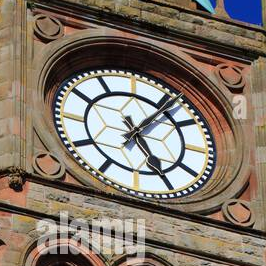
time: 5:06
